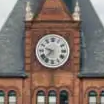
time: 9:37
